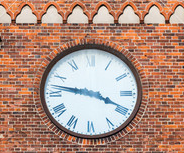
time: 3:46
